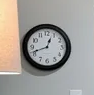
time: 12:41
